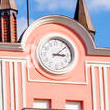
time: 3:08
